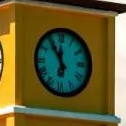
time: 11:54
